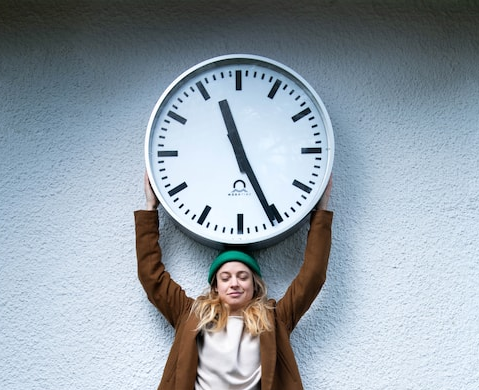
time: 11:25
